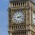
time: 2:18
